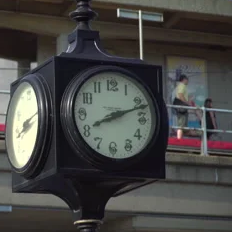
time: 8:11
